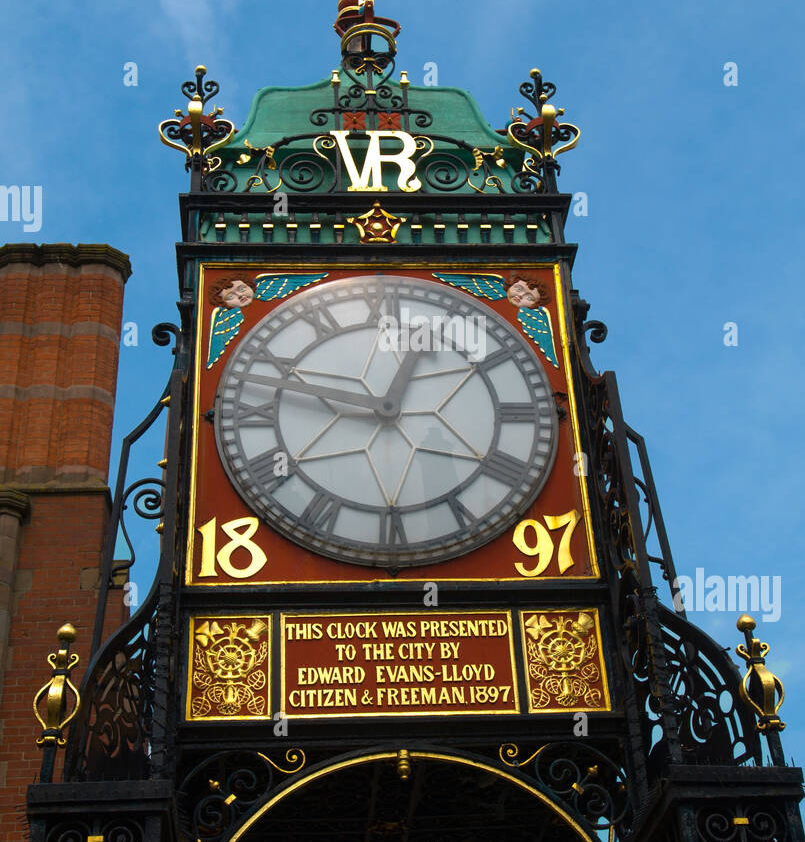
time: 12:47
